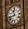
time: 10:42
